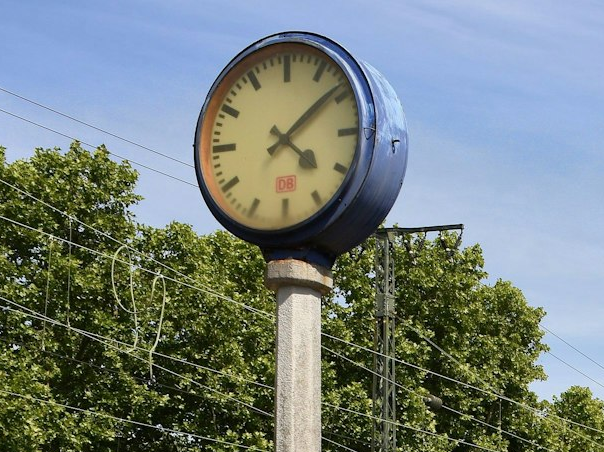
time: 4:08
